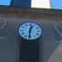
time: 12:30
